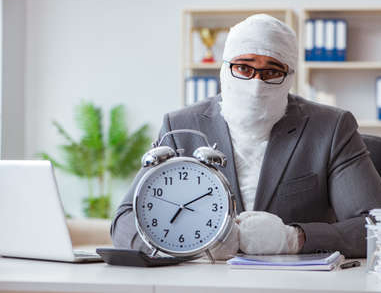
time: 7:10
